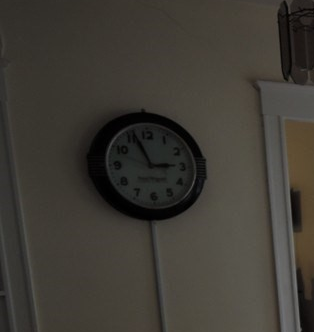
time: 2:56
